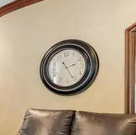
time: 2:25
